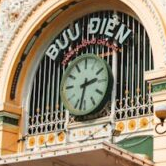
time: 2:32
